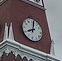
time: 8:01
